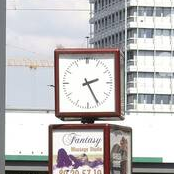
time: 2:25
